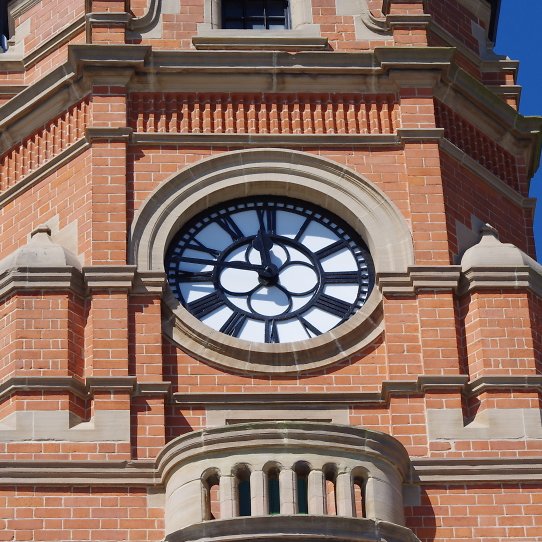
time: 11:46
